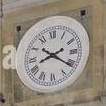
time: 8:21
